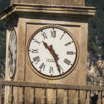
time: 10:25
